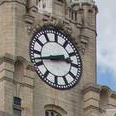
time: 2:42
